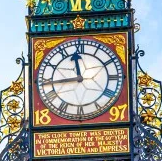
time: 11:43
